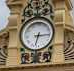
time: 6:15
